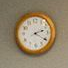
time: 2:20
